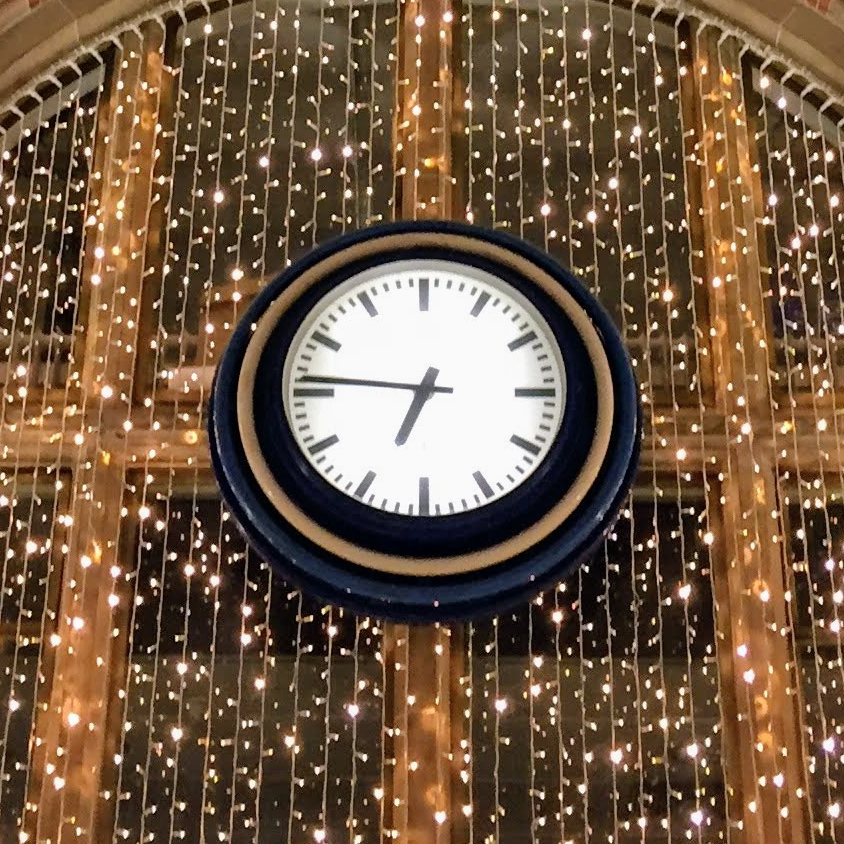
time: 6:46
